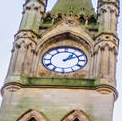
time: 1:10
